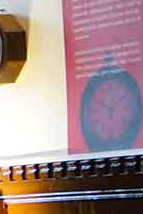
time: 10:07
